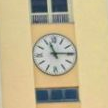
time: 11:14
